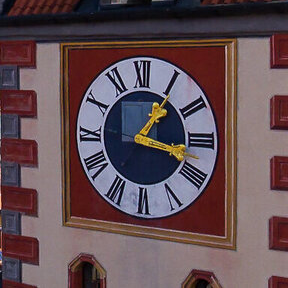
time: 1:17
